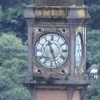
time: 11:26
